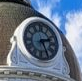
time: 2:26
